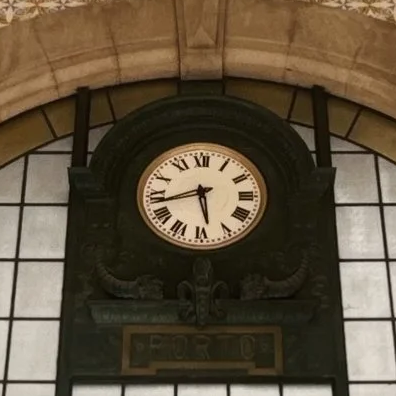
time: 5:42
